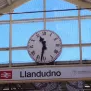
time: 11:32
